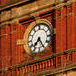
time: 7:25
